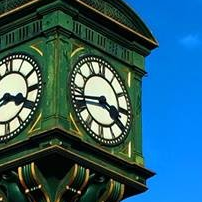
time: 3:43
